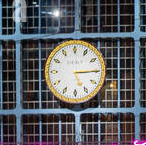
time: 5:14
